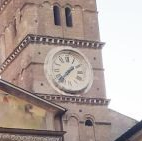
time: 1:37
